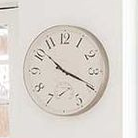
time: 3:51
